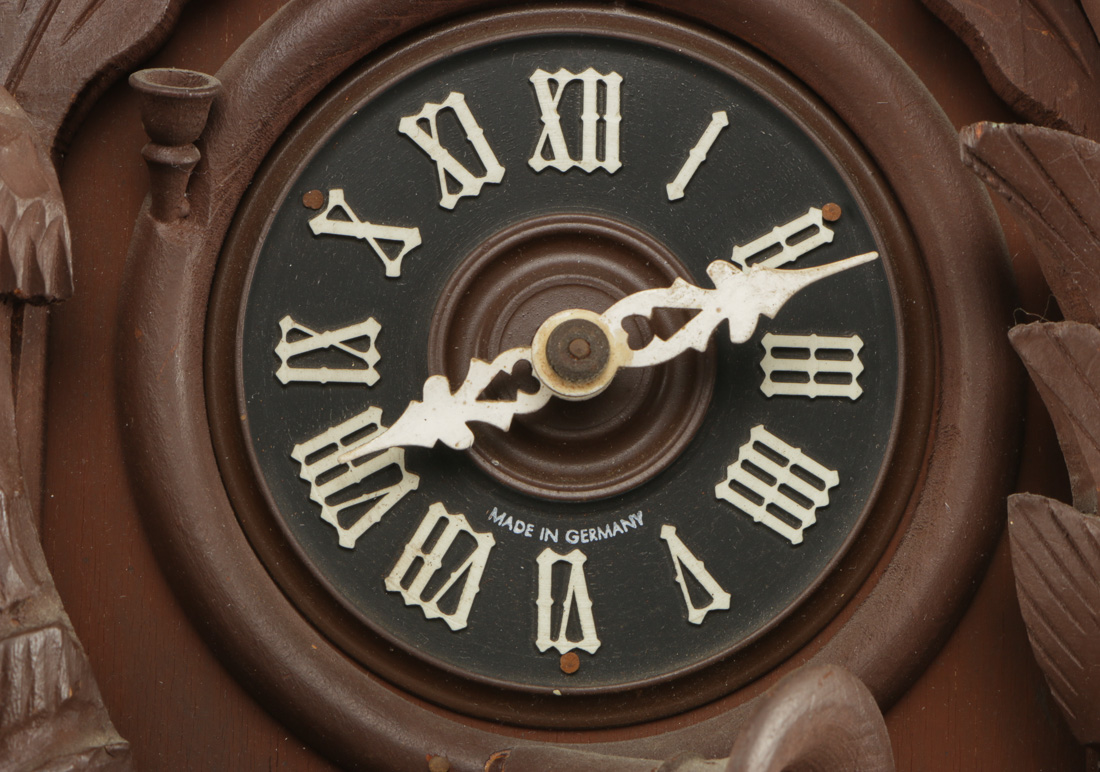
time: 8:11
